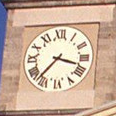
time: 3:37
